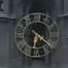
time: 6:21
